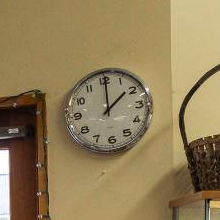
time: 2:00
